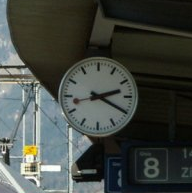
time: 2:19
